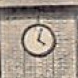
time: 4:02
